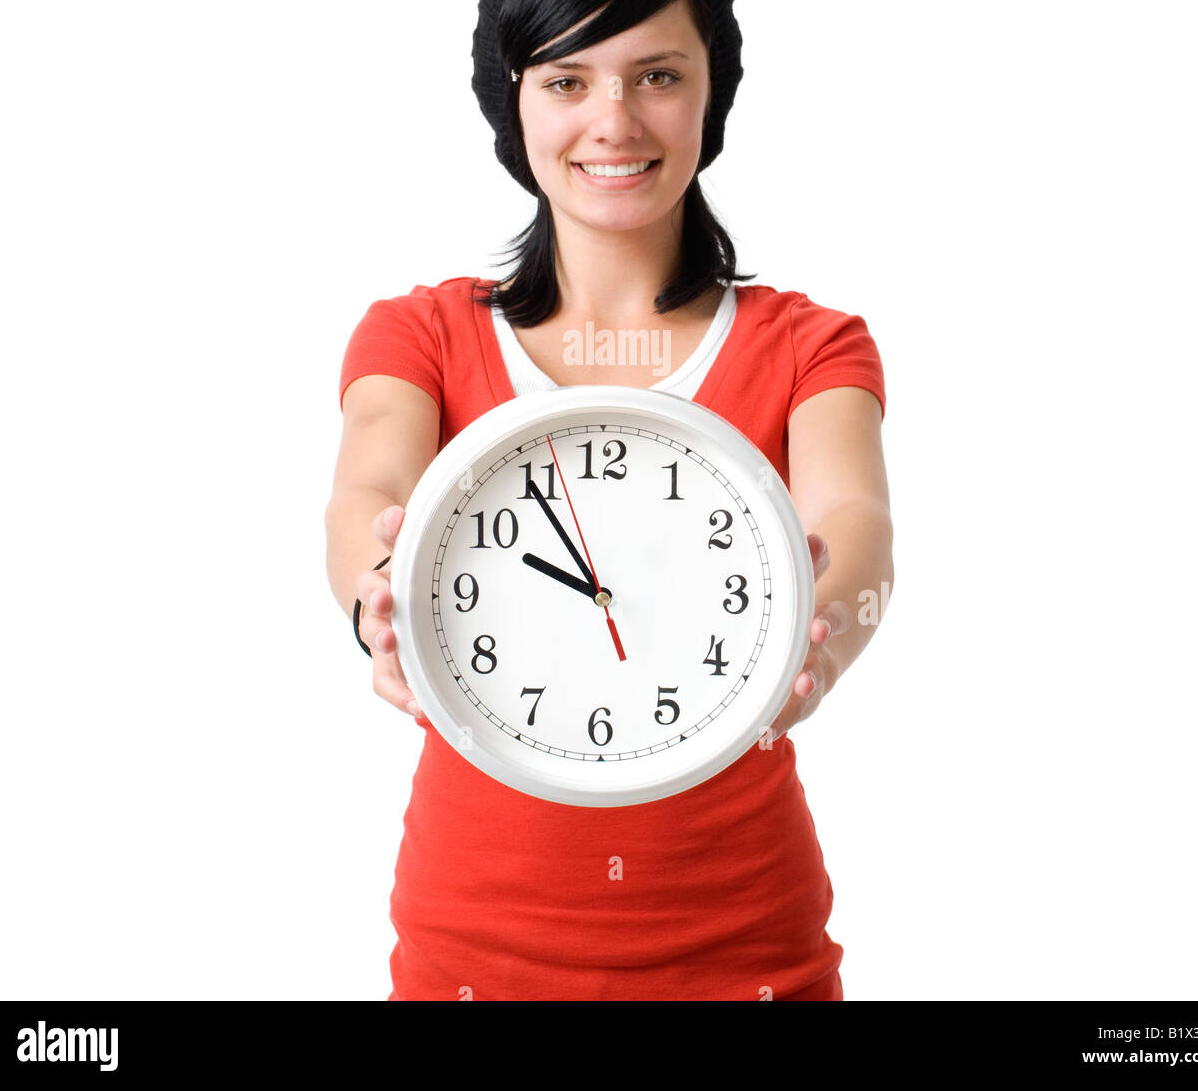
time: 9:54
